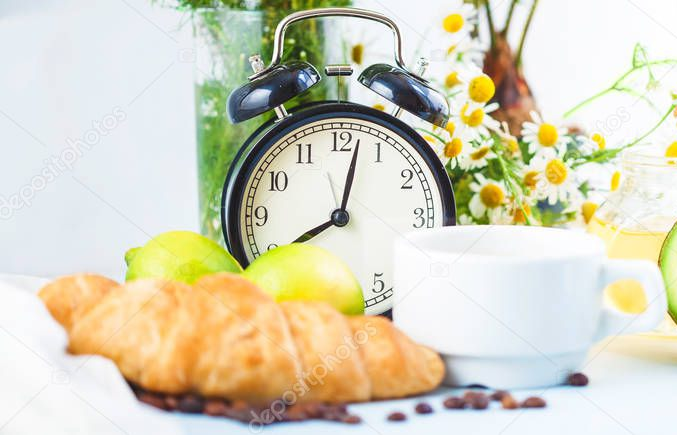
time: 8:02
